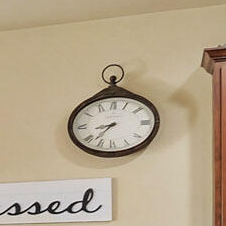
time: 8:37
